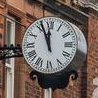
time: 11:56
